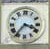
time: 3:36
